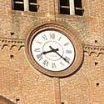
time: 8:21
